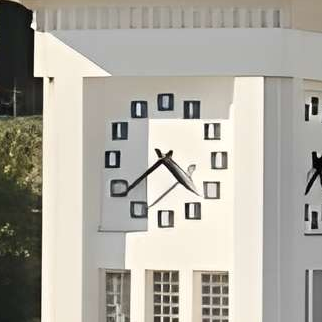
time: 4:38
